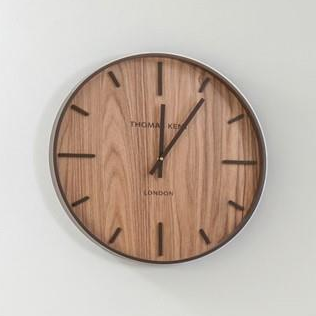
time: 12:05
